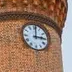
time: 3:01
